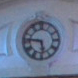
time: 5:46
